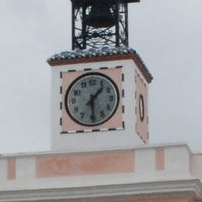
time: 1:29
